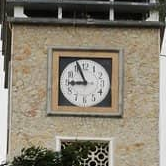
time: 8:56
